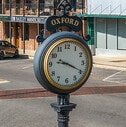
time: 9:19
